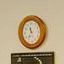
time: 11:36
